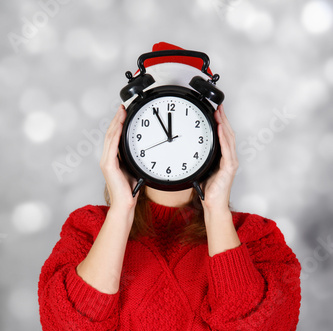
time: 11:54
